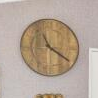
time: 11:20
